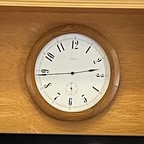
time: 2:44
